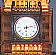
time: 2:29
